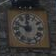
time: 11:48
